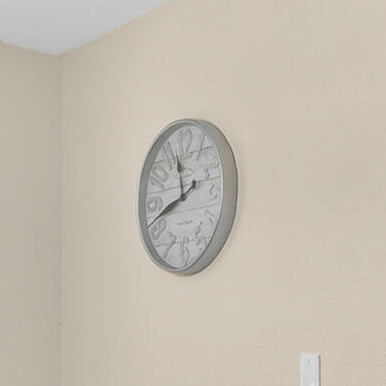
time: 11:42
